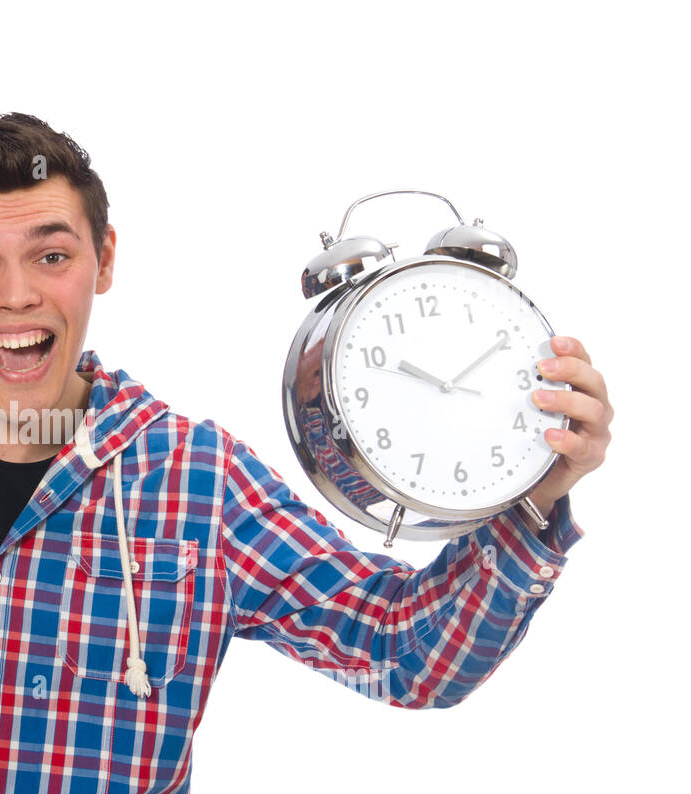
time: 10:10
